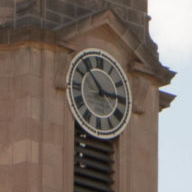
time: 2:53
